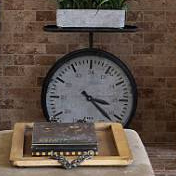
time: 3:22
